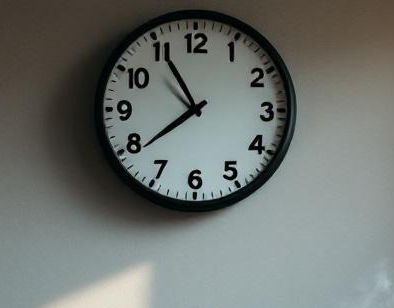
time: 7:54
